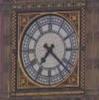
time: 7:22
